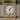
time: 1:28
